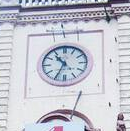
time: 10:34
